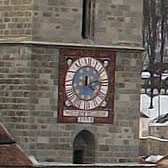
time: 12:13
